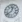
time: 12:38
